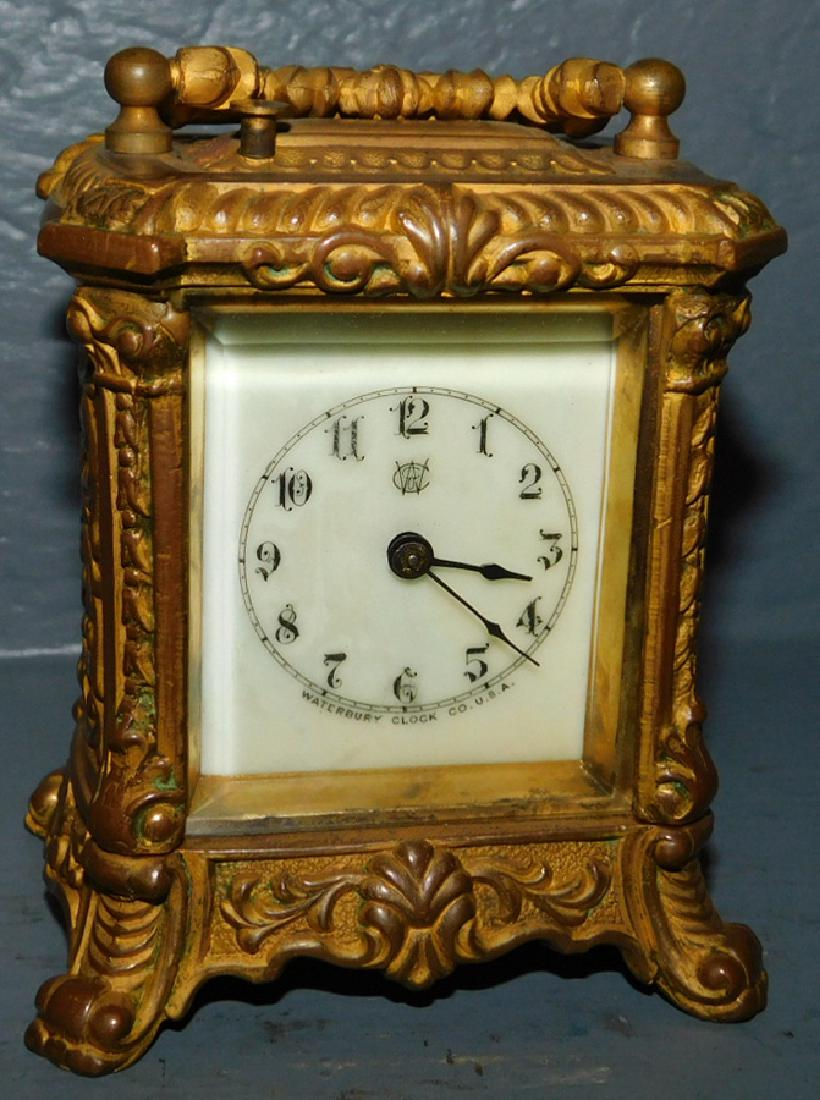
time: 3:21
